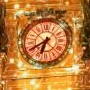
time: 6:40
